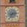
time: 2:34
